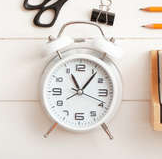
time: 11:06
